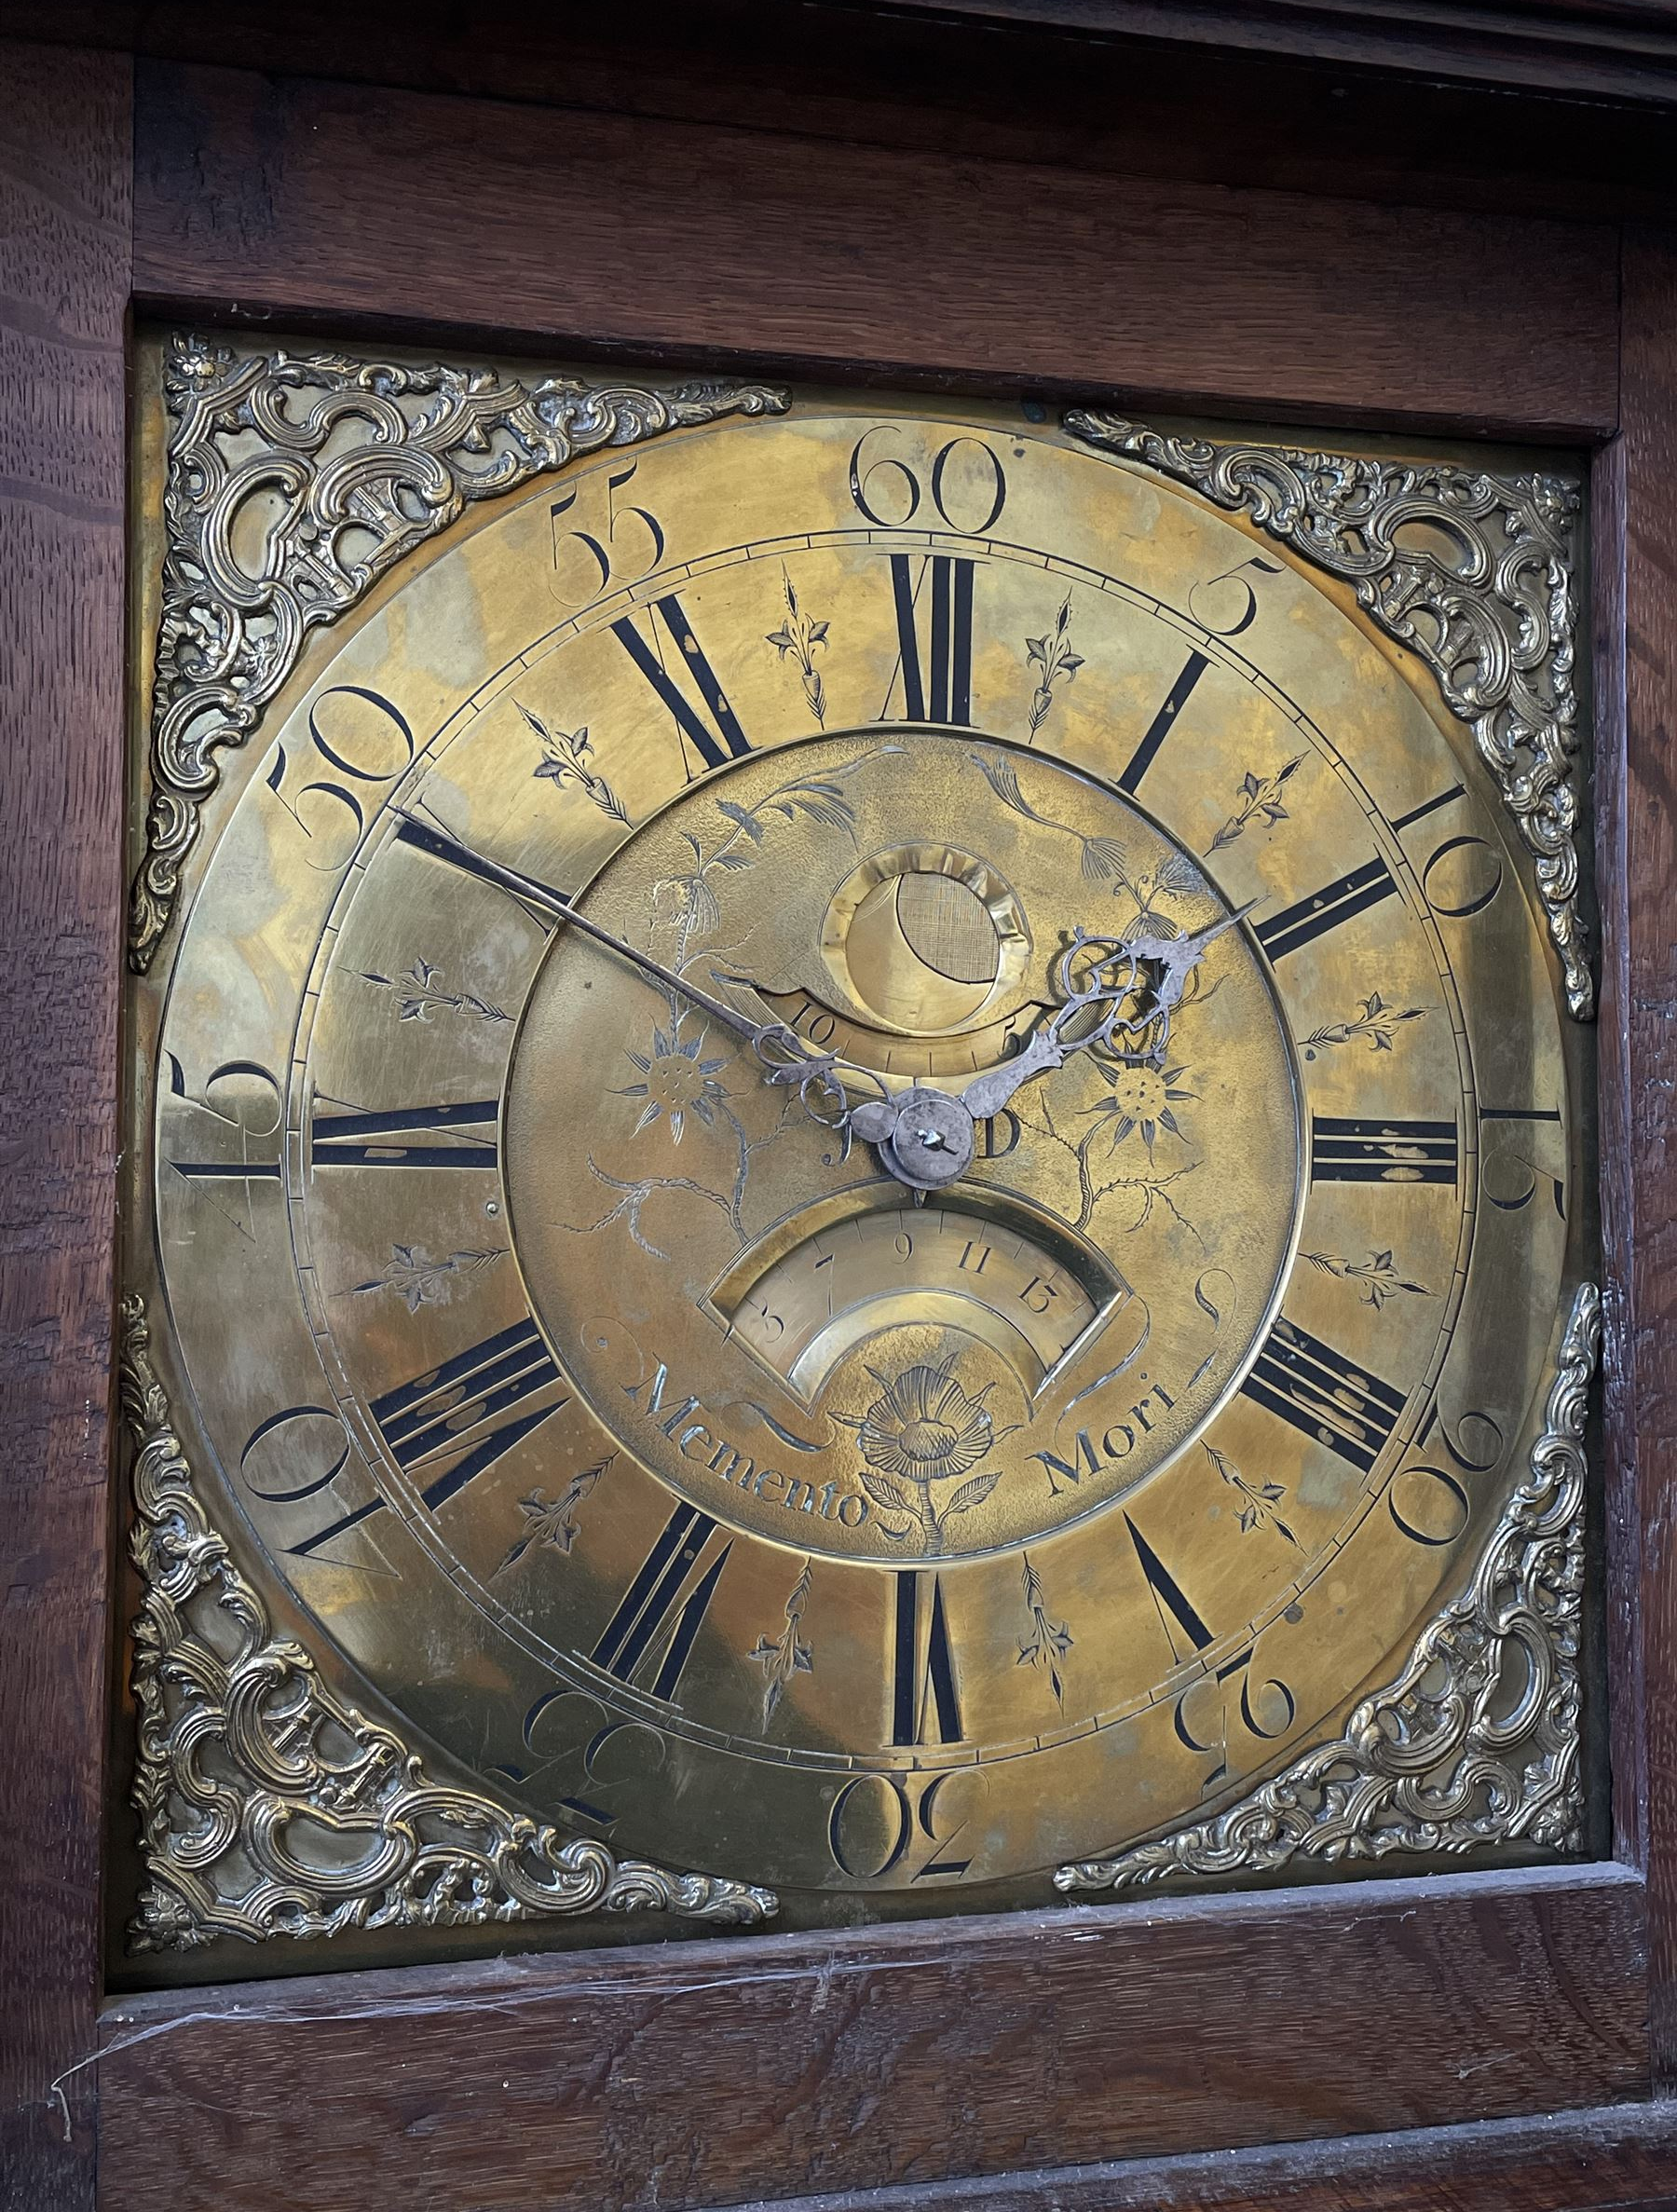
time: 3:50
